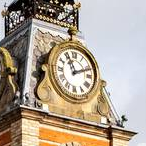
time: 11:11
